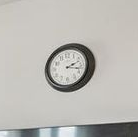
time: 2:17
